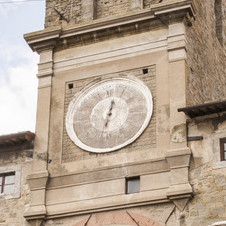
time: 12:32
